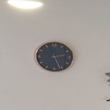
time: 2:26
